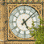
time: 5:07
